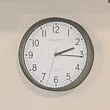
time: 2:15
